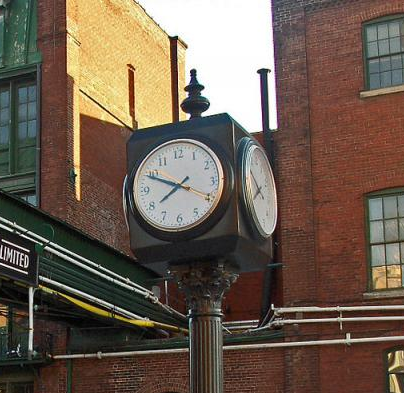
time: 7:49
